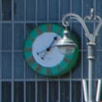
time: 1:13
